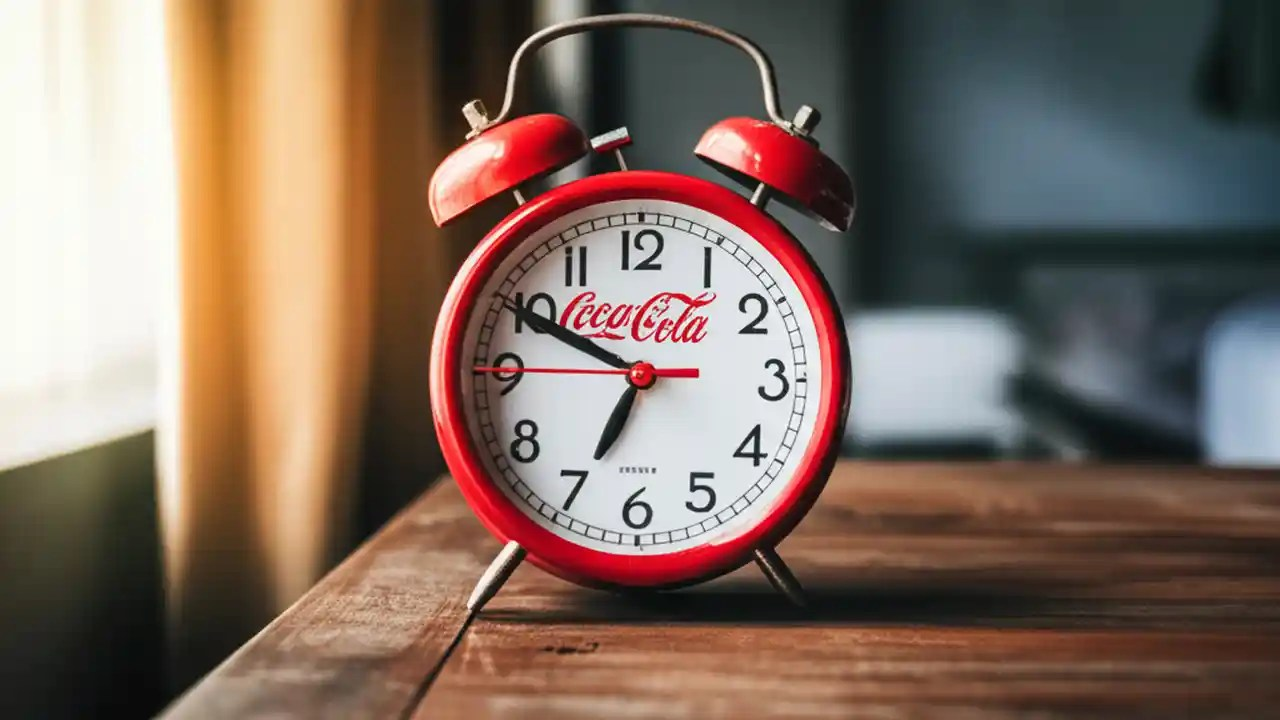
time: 6:49
